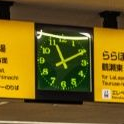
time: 11:10
